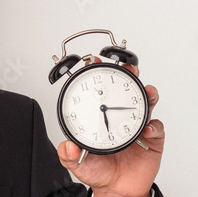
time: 6:17
